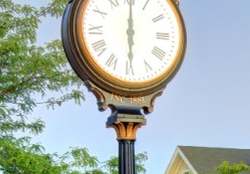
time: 6:00
